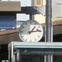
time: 1:13
